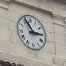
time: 2:55
